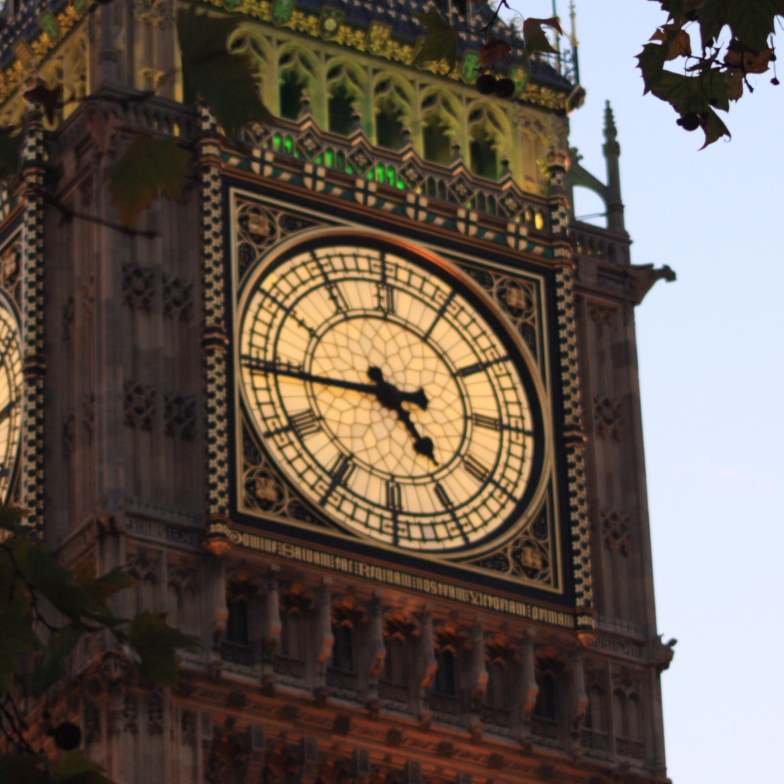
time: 4:44
